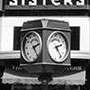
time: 2:23
